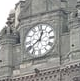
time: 12:38
